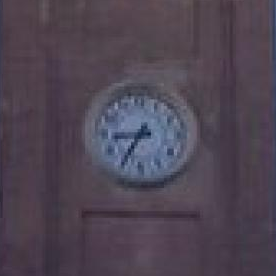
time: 8:35
